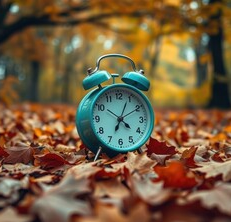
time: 4:04
